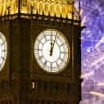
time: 12:03
